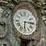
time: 6:14
